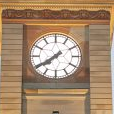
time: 7:39
